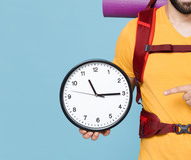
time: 11:14
